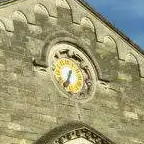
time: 6:34
